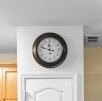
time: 11:47
